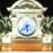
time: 5:38
